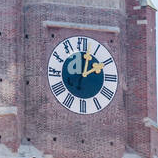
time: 2:02
